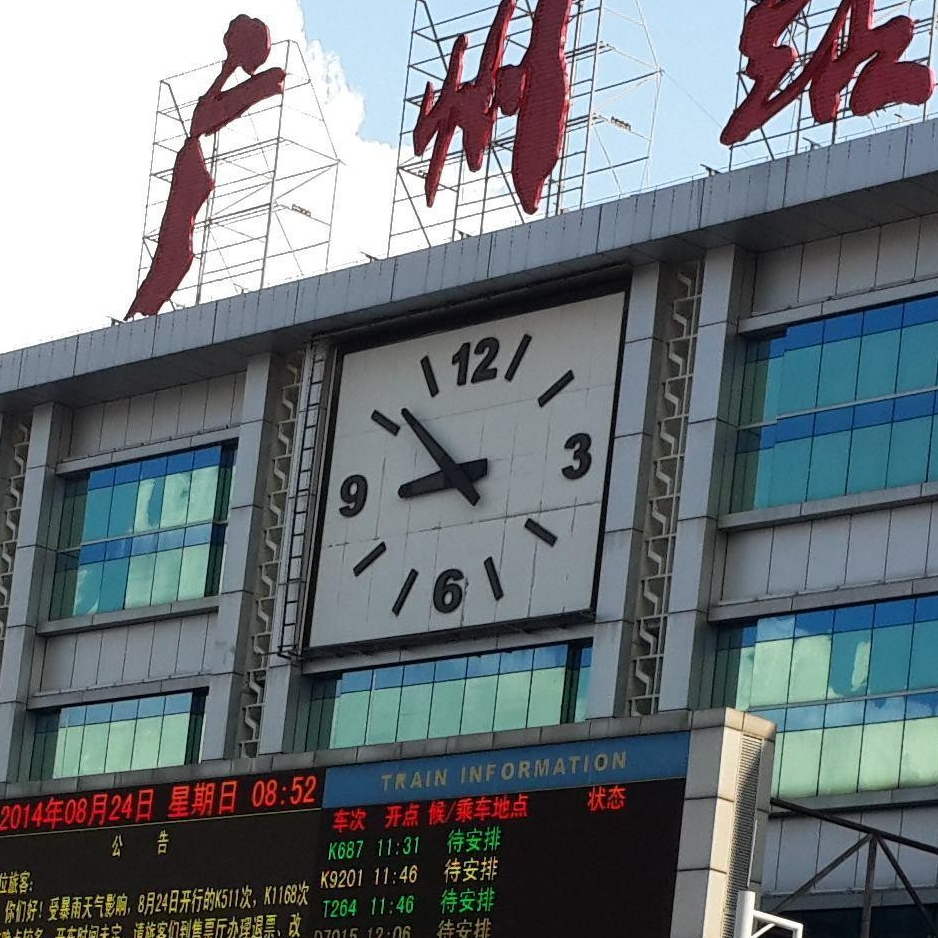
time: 8:52
